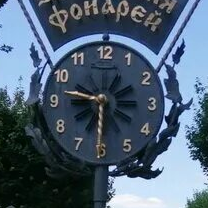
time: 9:30
